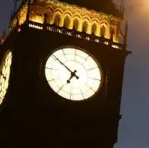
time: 6:50
